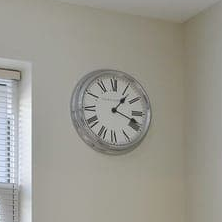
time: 1:18
